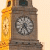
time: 7:24
